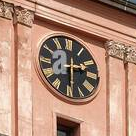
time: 2:29
